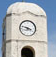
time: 3:47
